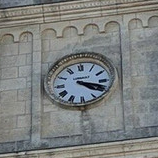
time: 4:18
